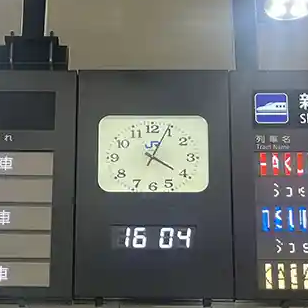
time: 4:04
